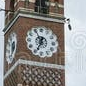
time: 6:55
